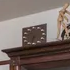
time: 6:32
